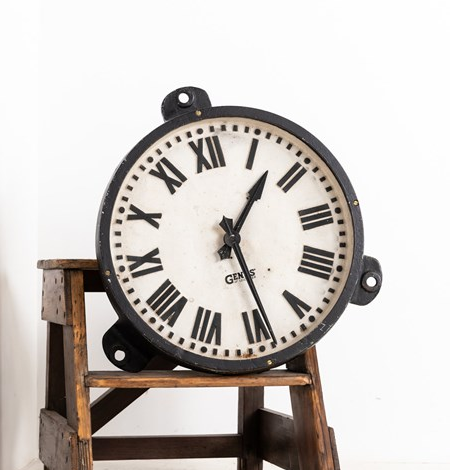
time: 1:28
